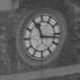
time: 11:16
